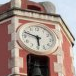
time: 5:48
